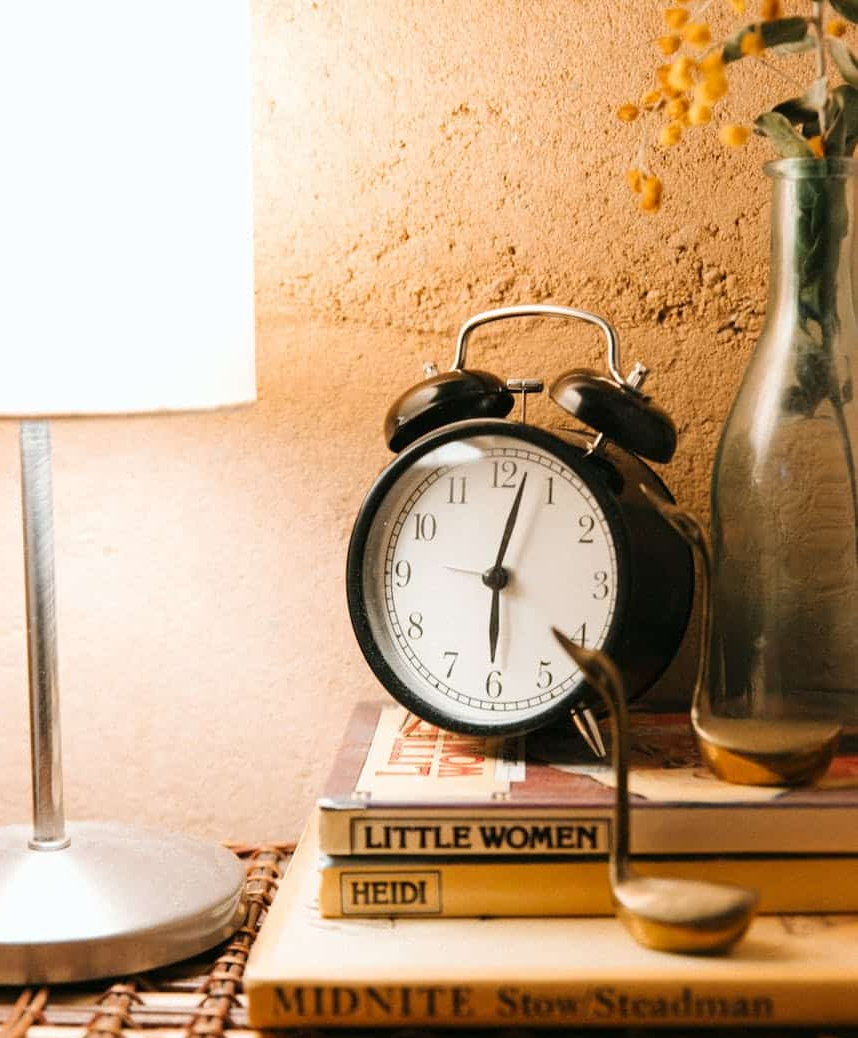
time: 6:02
